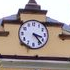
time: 3:23
